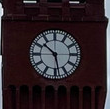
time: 10:28
